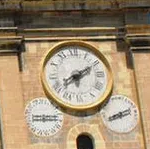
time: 8:10
